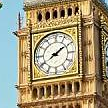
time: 2:09
